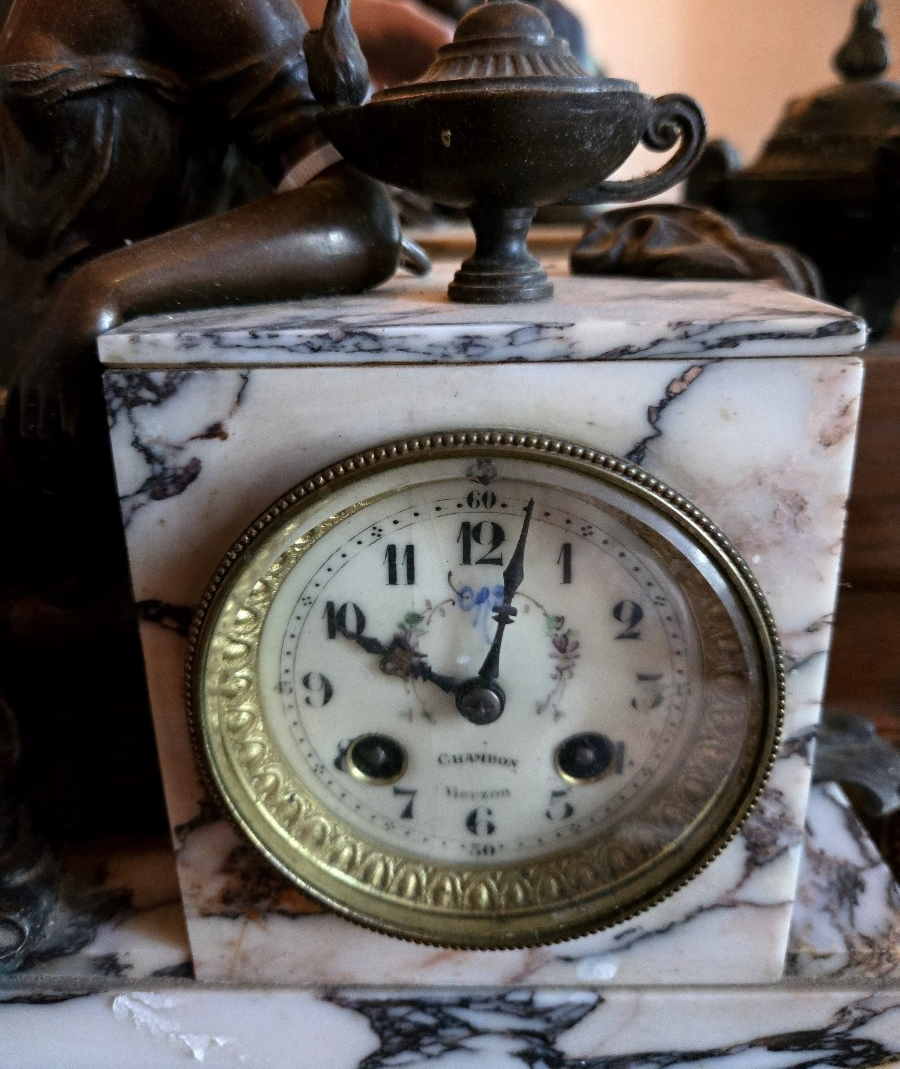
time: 10:02
